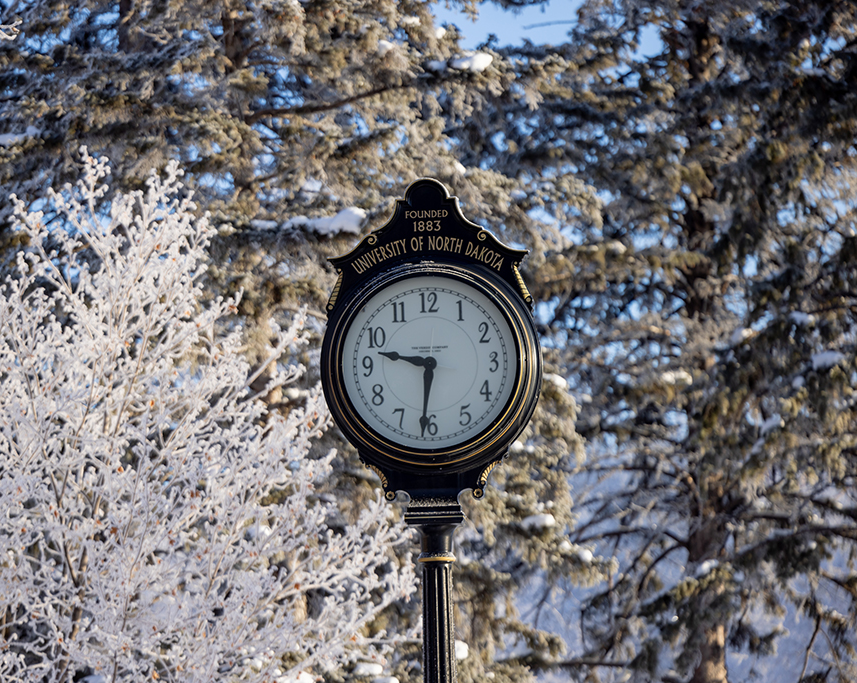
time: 9:31
